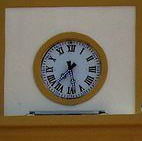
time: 7:28
